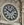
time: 10:07
